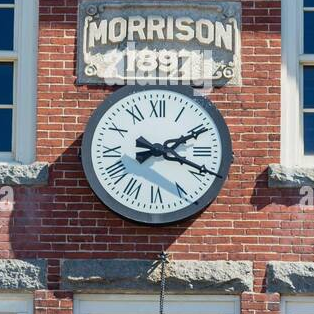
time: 2:18
